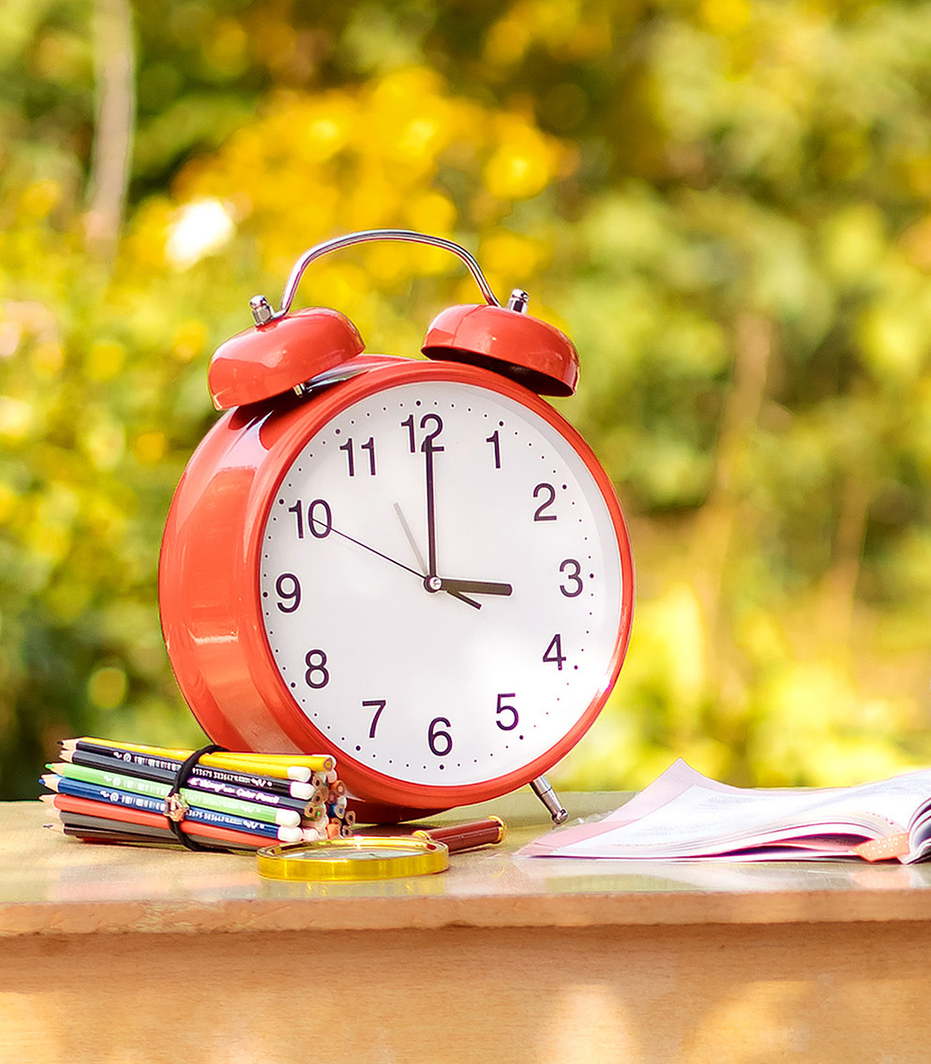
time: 3:00
